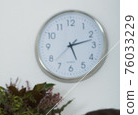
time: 5:12
